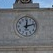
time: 12:12
